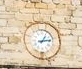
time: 1:13
